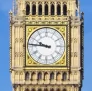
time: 9:45
